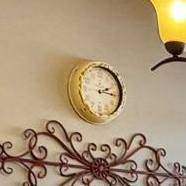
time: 2:16
